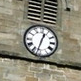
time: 12:32
